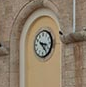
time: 3:23
